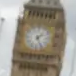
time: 1:25
